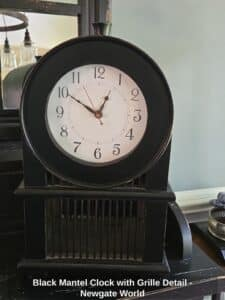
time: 12:50
